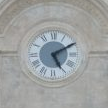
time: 5:10
